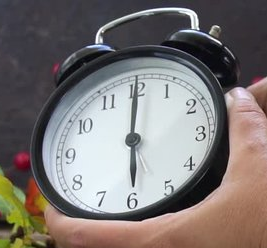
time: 6:00
